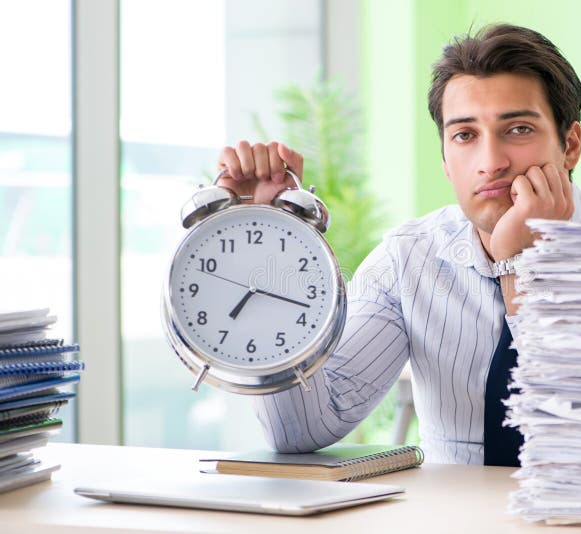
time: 7:17
